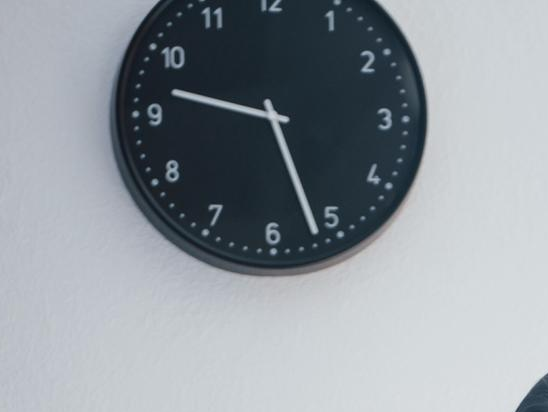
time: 9:26
